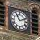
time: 11:11
